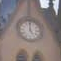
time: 4:59
